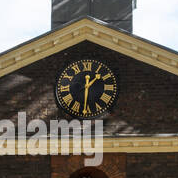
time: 1:30
